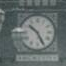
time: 10:25
